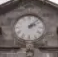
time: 2:07
